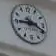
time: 3:45
